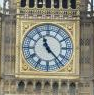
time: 11:23
